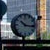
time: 10:16
